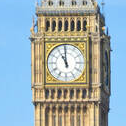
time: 10:59
